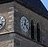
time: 12:23
